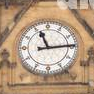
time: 11:14
